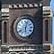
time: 6:03
